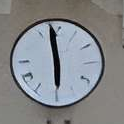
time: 5:58
